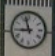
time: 8:57
